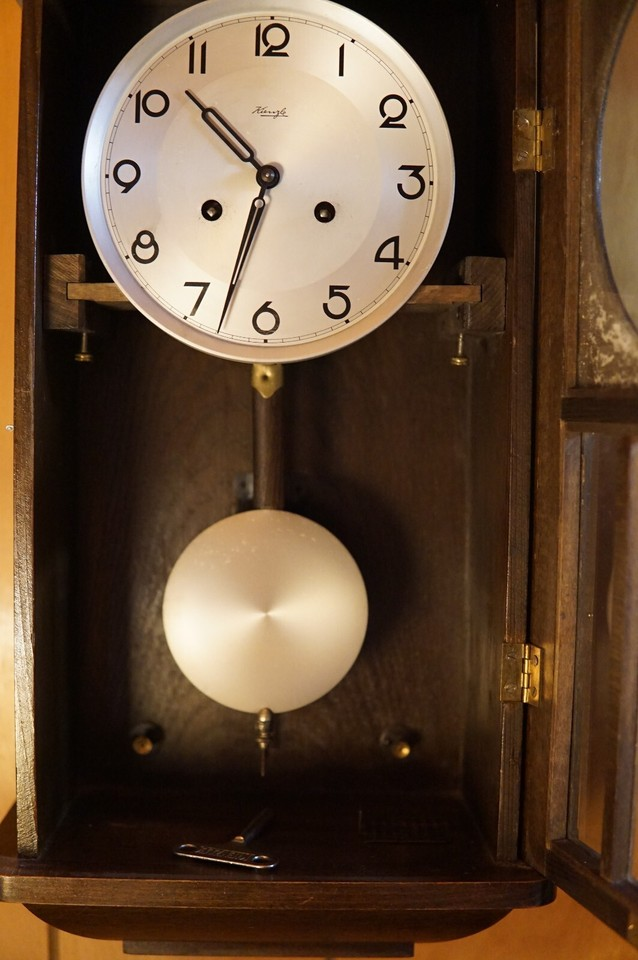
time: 10:33
